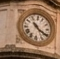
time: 10:20
